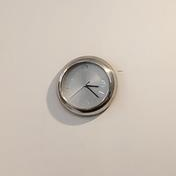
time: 3:23
